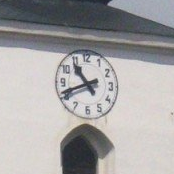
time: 10:41
